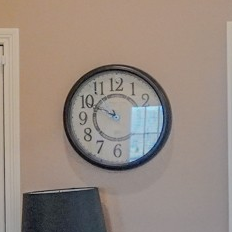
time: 9:49
